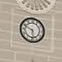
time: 5:49
